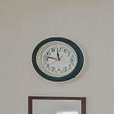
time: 11:46
